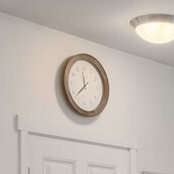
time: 11:37
